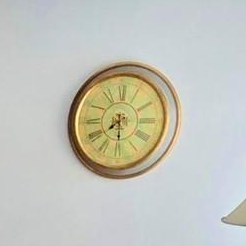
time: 7:30
